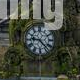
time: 9:23
